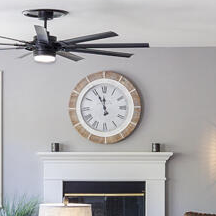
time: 11:55
